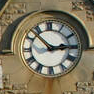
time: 2:52
